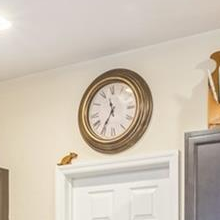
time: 11:35
